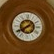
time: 1:39
